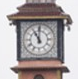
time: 11:00
